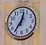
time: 12:36
